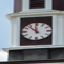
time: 11:52
